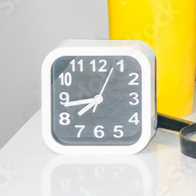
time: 7:43
